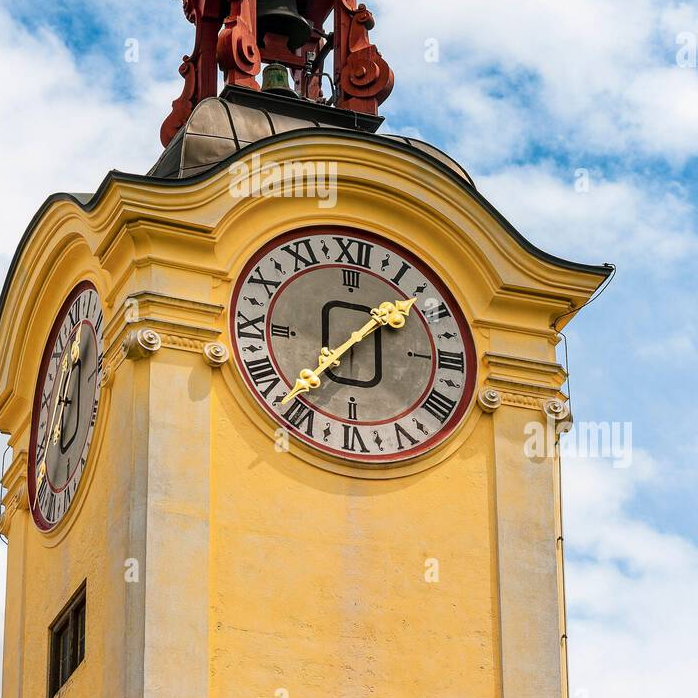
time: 1:37
